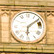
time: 6:08
